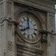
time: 7:59
